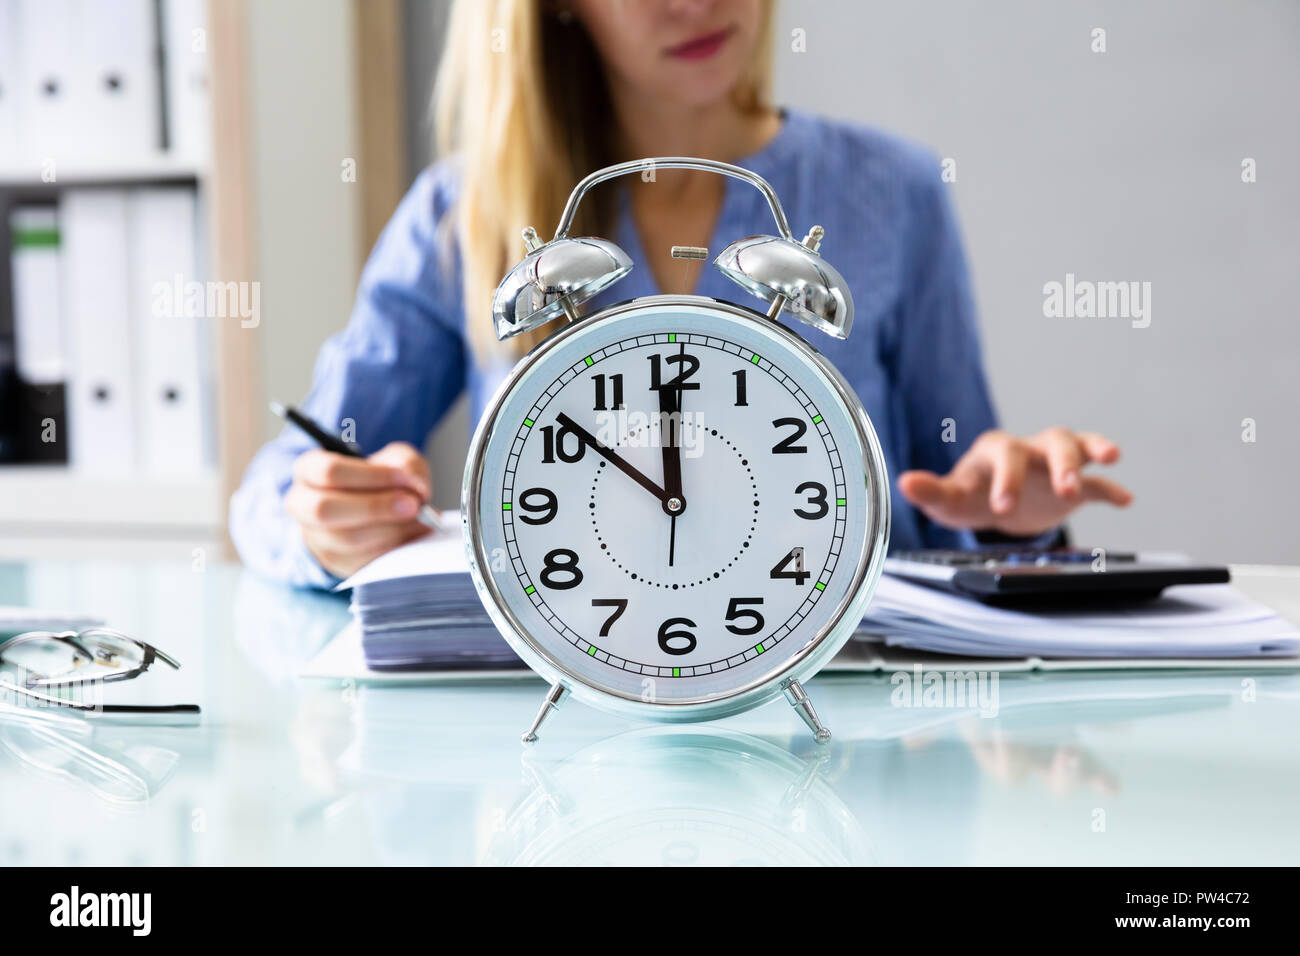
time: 11:51
